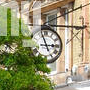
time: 2:56
